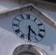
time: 4:31
